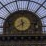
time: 11:39
